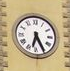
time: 6:25
